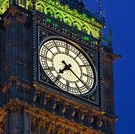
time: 7:20
